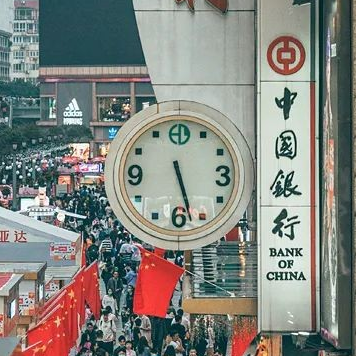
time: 5:27
